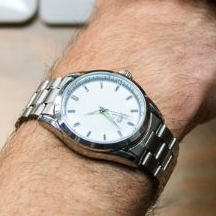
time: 8:23
